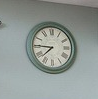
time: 7:45
